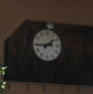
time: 1:44
